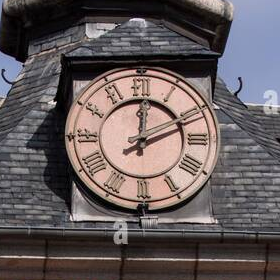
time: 12:11
